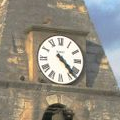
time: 4:22
